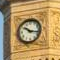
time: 10:17
